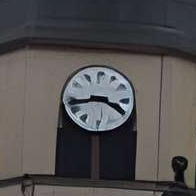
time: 3:43
